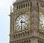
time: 3:30
